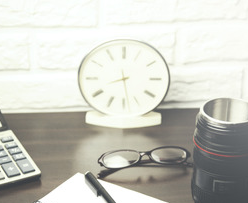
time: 8:28
